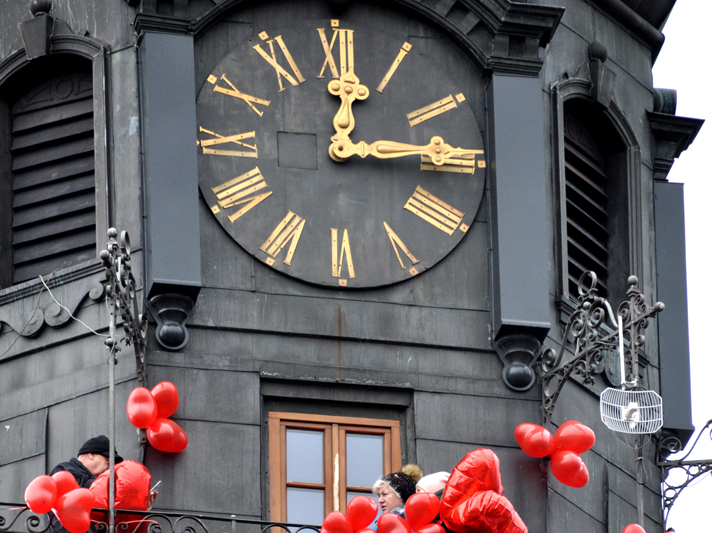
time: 12:14
